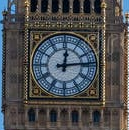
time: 12:13
